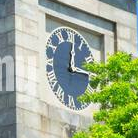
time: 12:14
